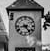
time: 4:42
